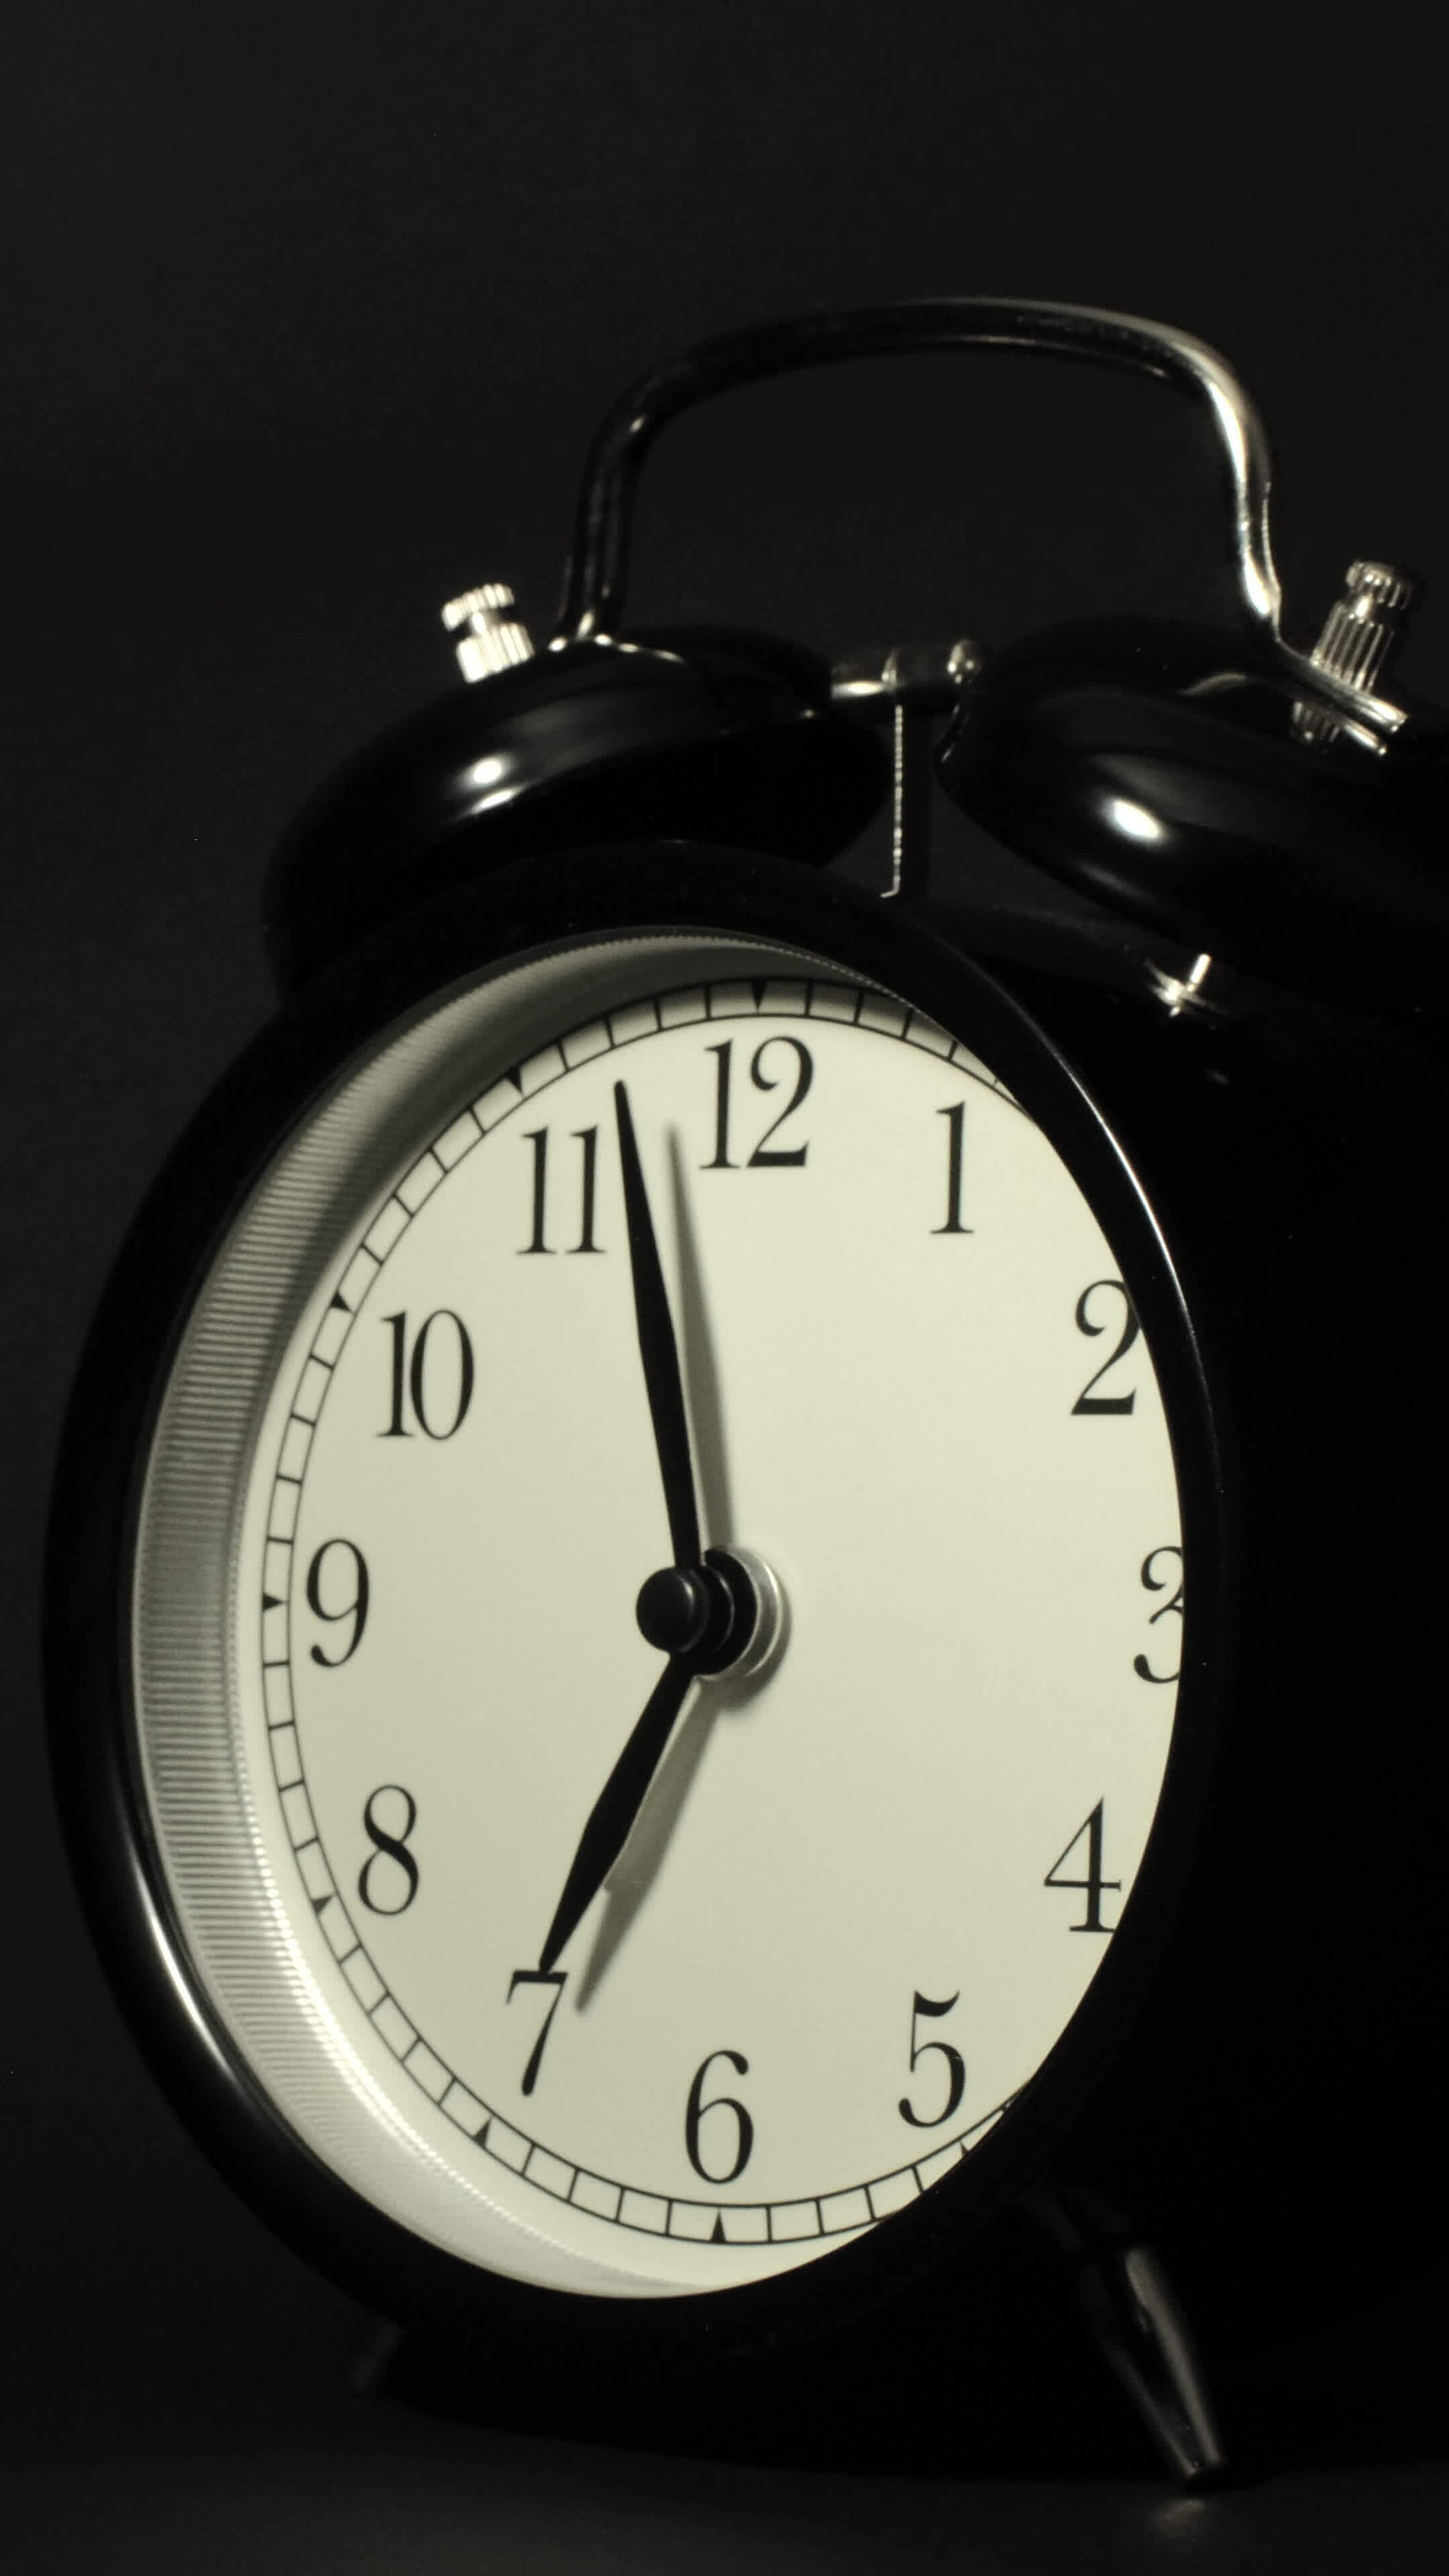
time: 6:57
